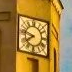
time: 7:47
